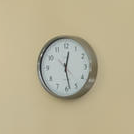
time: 12:28
